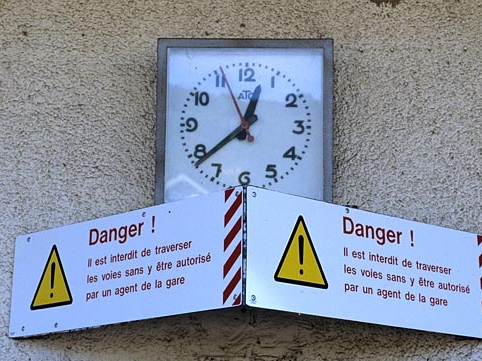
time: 12:38
